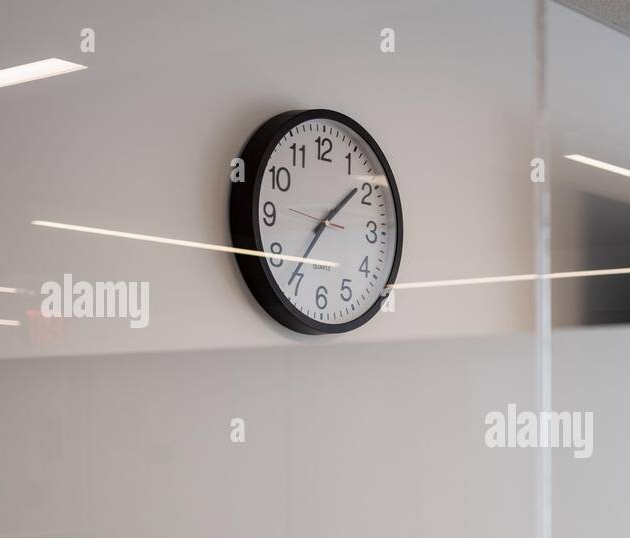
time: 1:35
